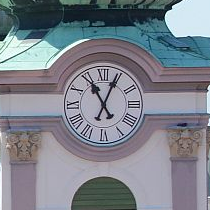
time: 11:04
